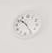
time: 10:24
